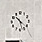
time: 10:27
